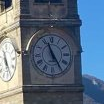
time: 11:24
